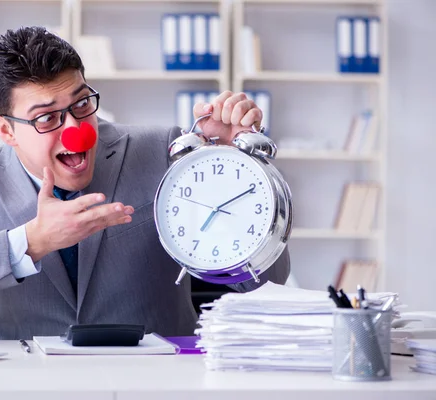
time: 7:10
